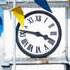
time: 3:46
